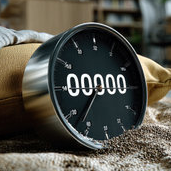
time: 7:37
